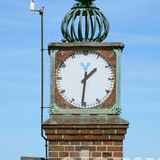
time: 1:31
